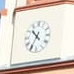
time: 10:35
